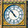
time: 10:53
